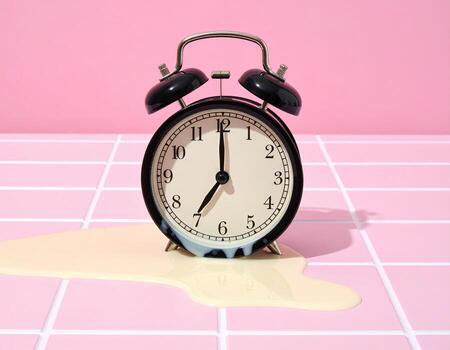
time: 7:00
